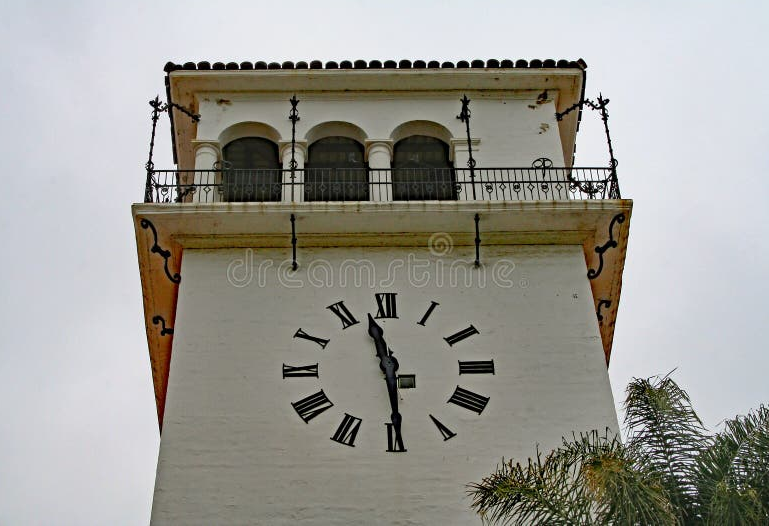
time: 11:29
